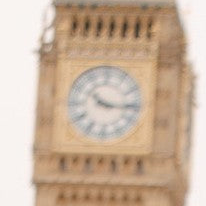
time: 10:15
